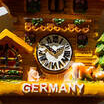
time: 1:50
